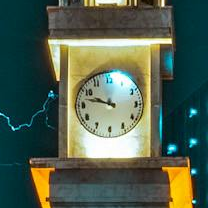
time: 9:47
